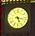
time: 5:17
